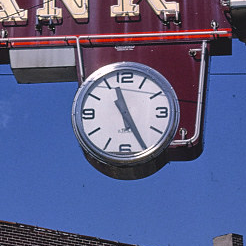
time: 11:25
